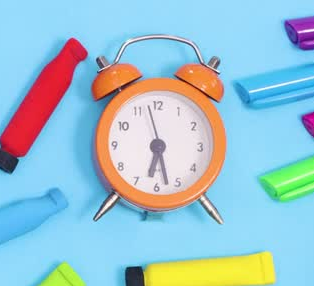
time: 6:27
